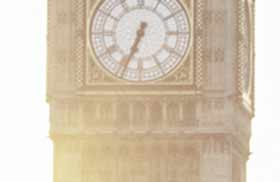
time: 6:34
